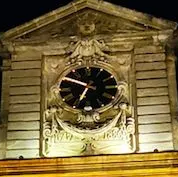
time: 6:49
